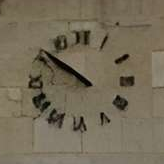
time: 9:50
